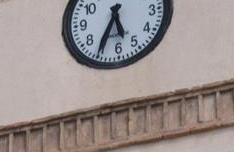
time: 5:35
